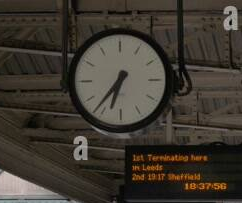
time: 6:36
